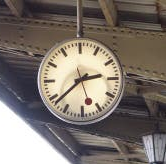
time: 2:38
